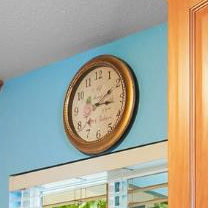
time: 3:09
